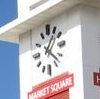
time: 1:22
